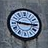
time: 9:15
